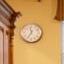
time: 11:35
